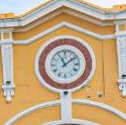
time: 11:08
